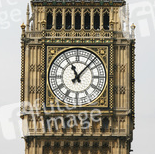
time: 11:07
